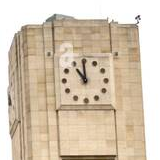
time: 10:59
